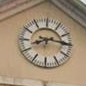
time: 8:15
